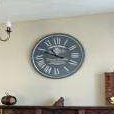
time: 10:48
